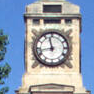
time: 11:42
